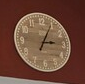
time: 3:04
